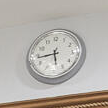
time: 5:43
